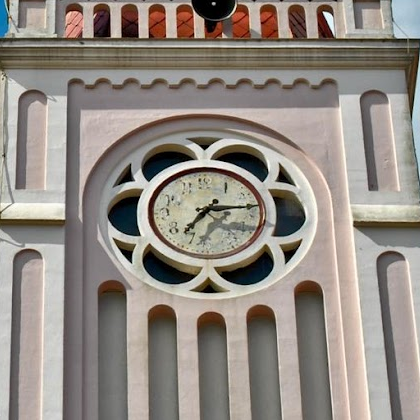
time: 7:13
